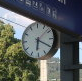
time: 6:20
